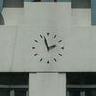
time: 1:57
